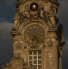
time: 6:23
